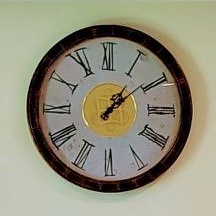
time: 1:09
